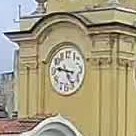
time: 4:46
